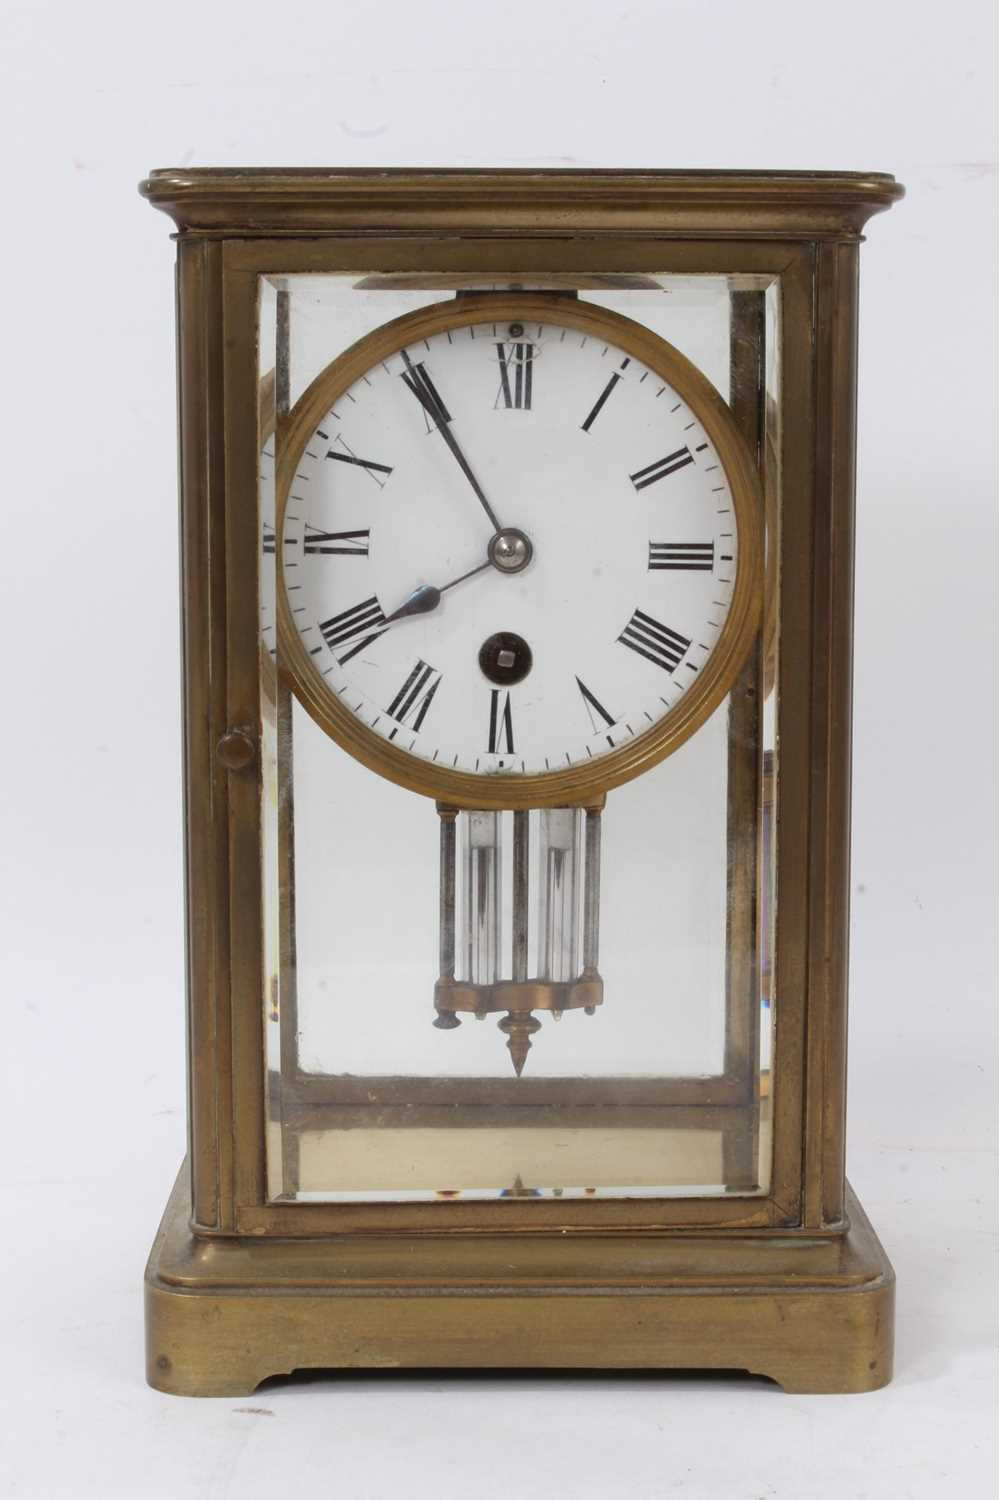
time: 7:54
